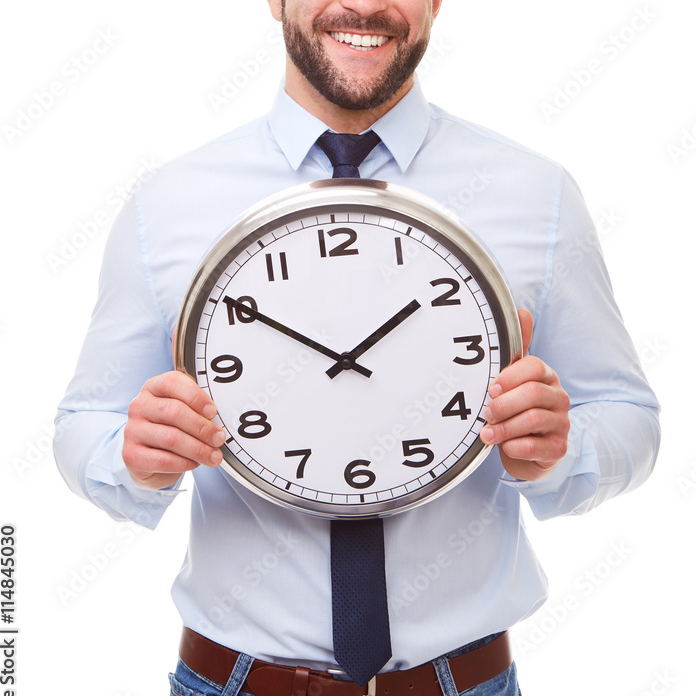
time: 1:50
